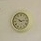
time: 10:13
